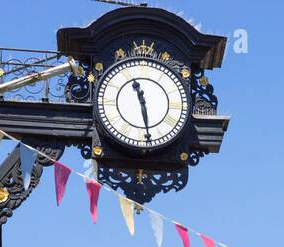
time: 11:28
